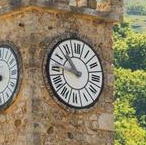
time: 10:45
